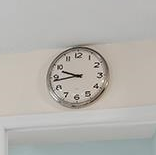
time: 9:43
